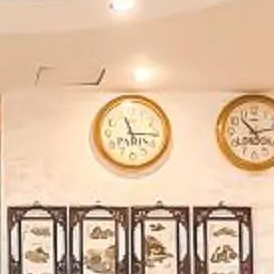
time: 11:15
